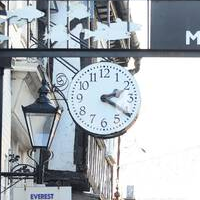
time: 2:20
